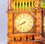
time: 7:41
